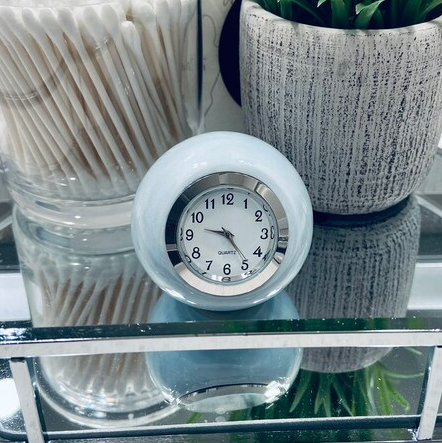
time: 9:23
